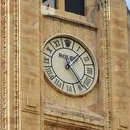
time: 1:24
